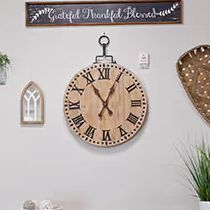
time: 11:04
